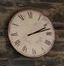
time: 2:12
